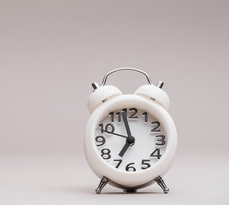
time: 6:57
